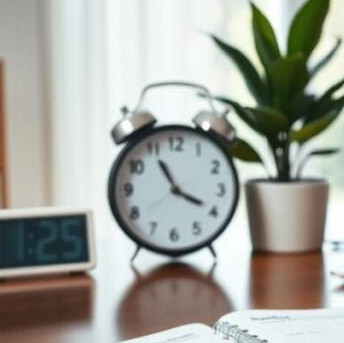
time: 3:55
